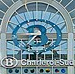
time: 8:36
